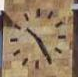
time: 10:24
